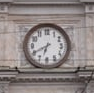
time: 6:40
